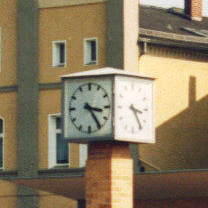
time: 3:23
